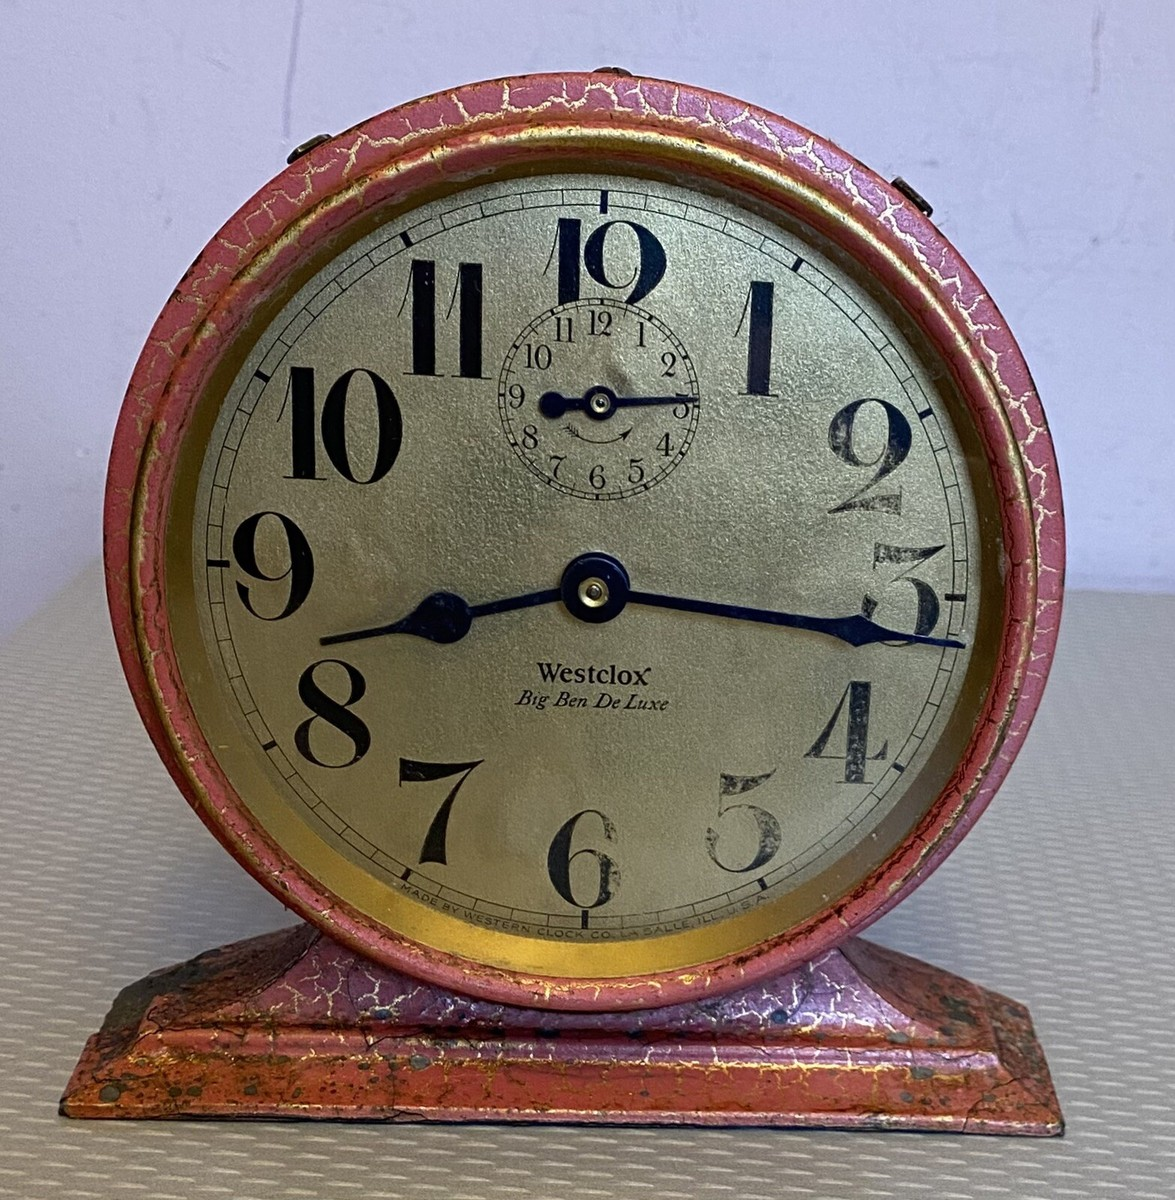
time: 8:16
